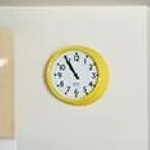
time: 10:54
